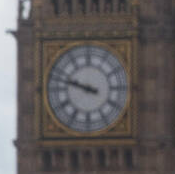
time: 9:47
